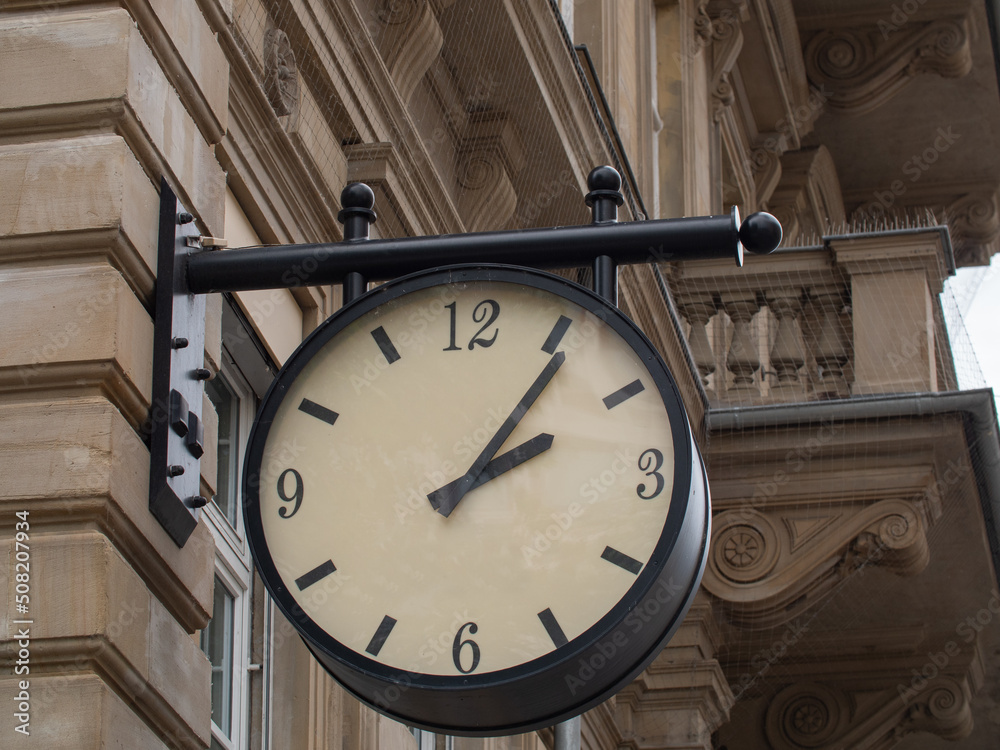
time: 2:06
